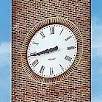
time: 8:43
